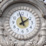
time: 1:57
